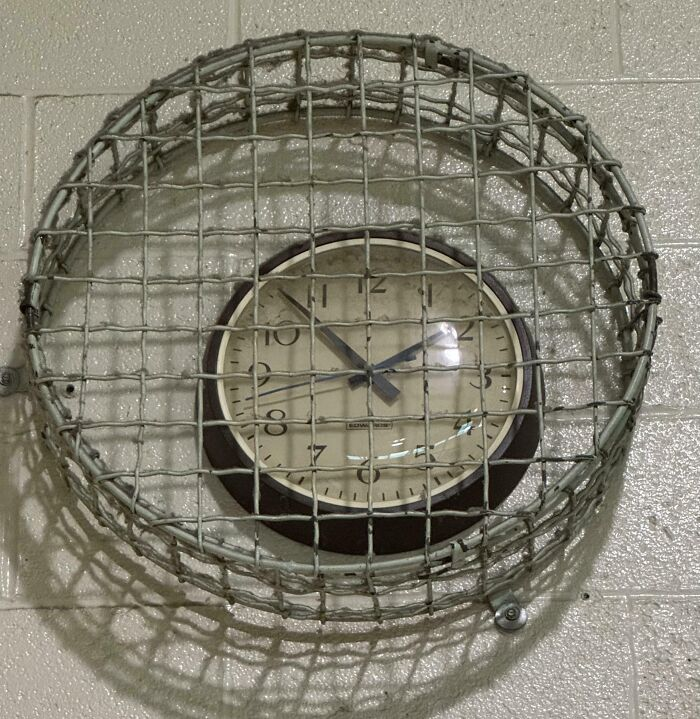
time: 1:52
